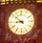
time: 8:51
